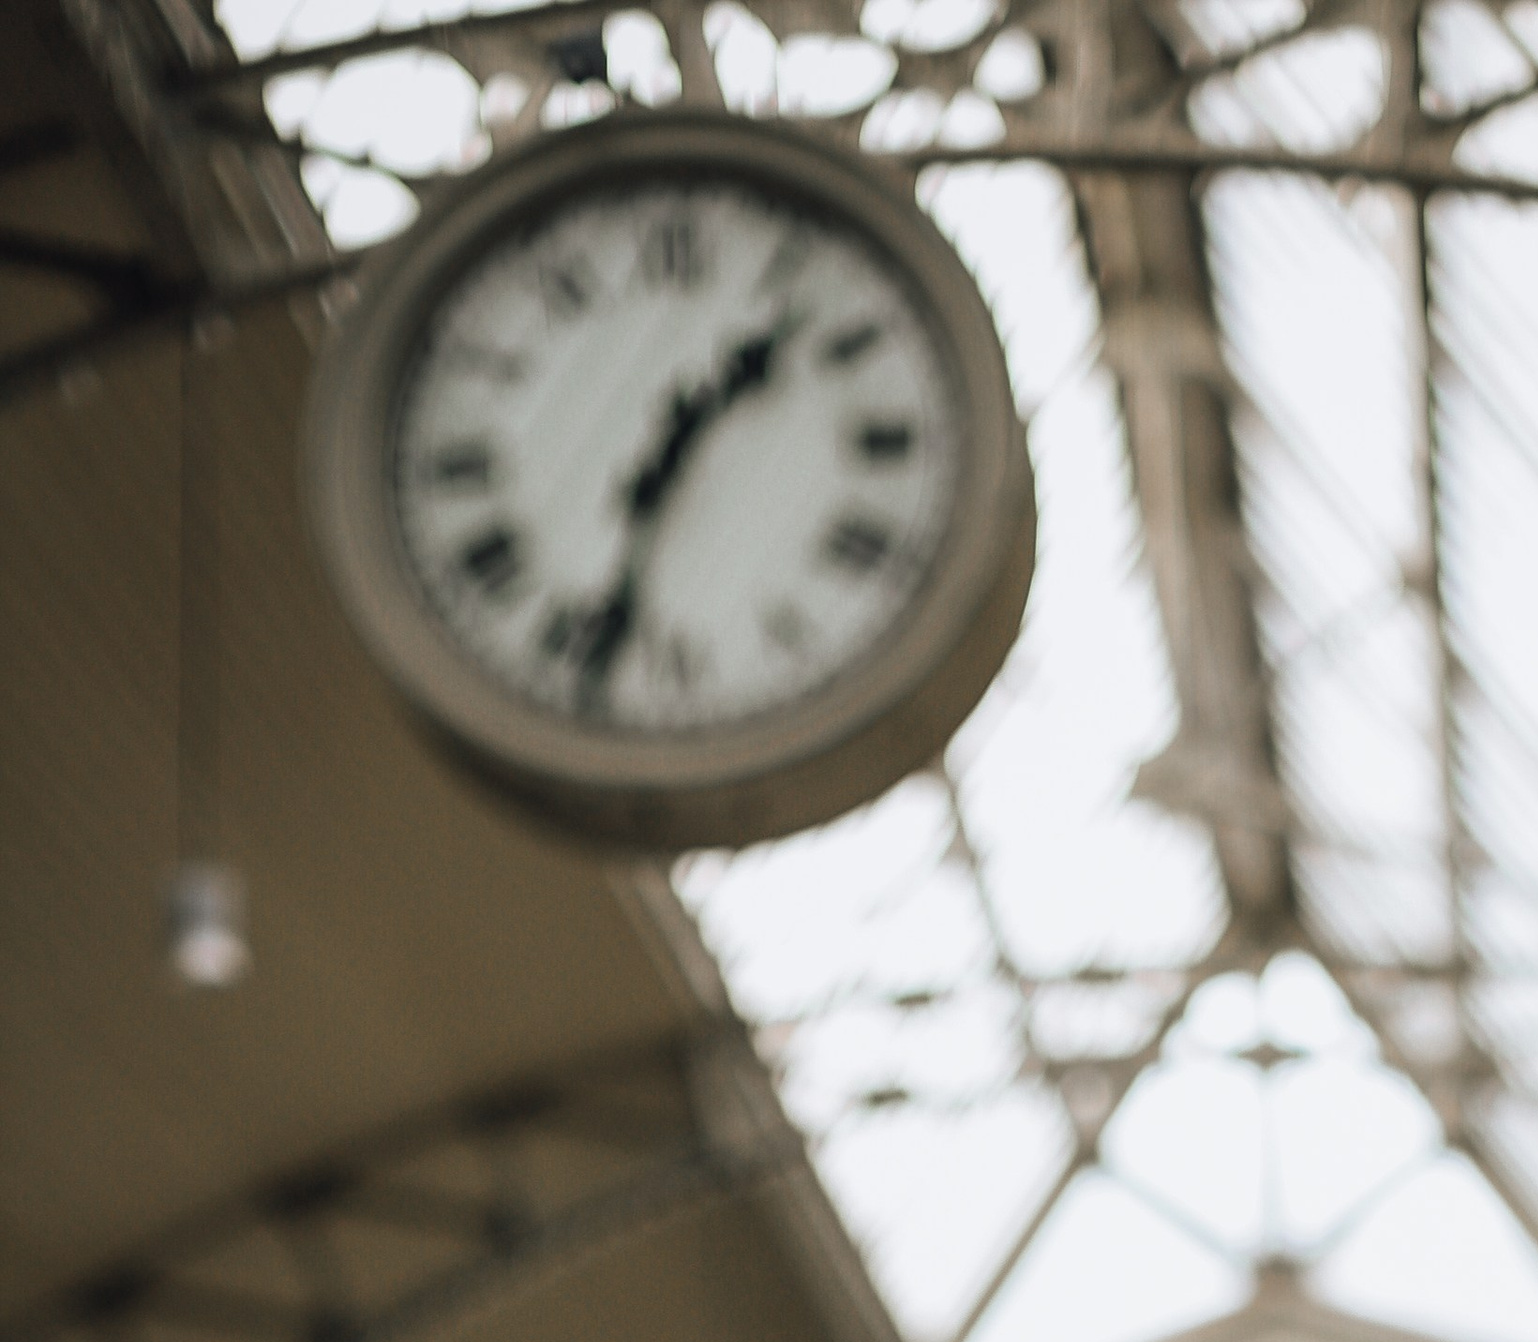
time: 1:33
